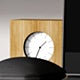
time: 1:33
